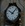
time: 10:07
